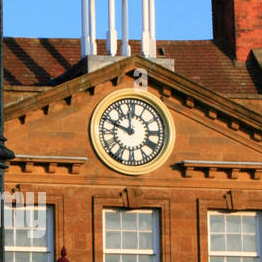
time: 11:48
